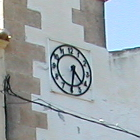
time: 4:31
